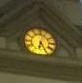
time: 6:25
